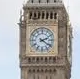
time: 2:21
